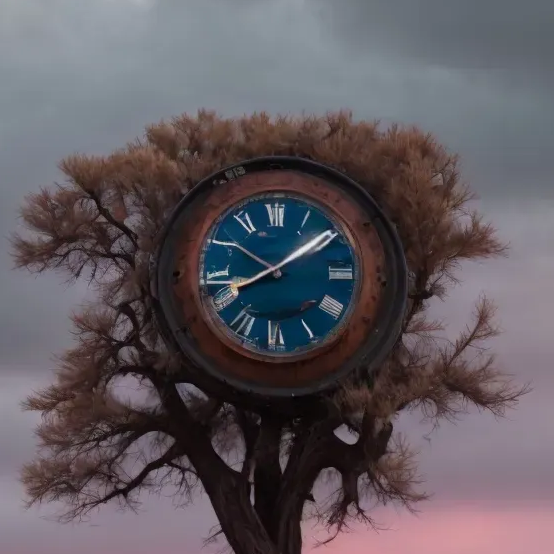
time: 8:08
